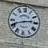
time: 2:41
